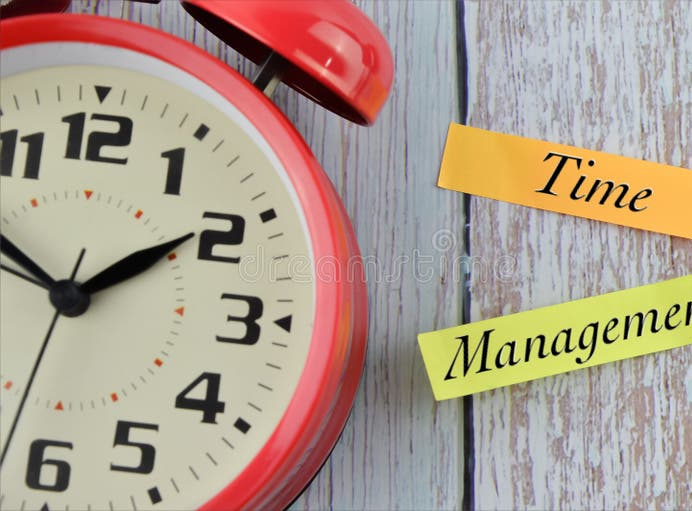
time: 1:50
